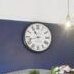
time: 10:42
